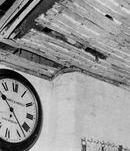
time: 10:22
